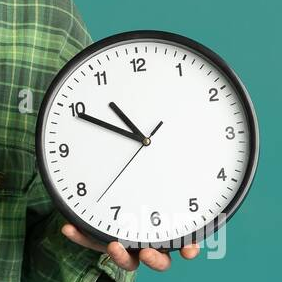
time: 10:49
